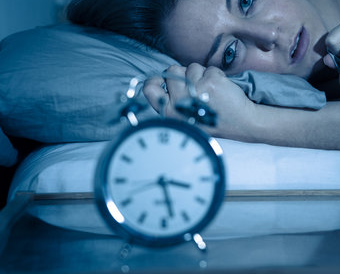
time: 3:27
